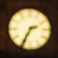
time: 2:34
